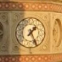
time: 1:25
